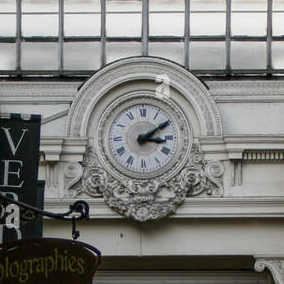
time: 3:09
